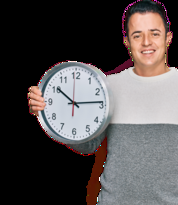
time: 10:13
